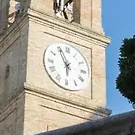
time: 5:55
